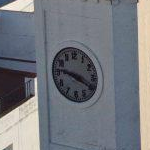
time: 9:19
